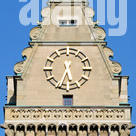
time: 5:33
